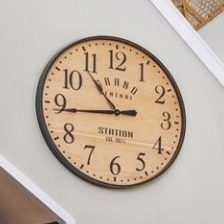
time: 10:44
